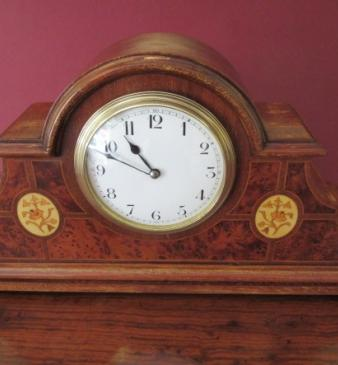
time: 10:48
